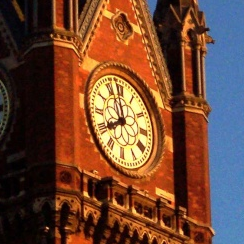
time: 7:58
